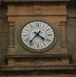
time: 4:36
